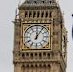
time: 12:05
